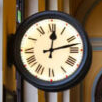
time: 12:12
